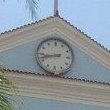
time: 8:42
